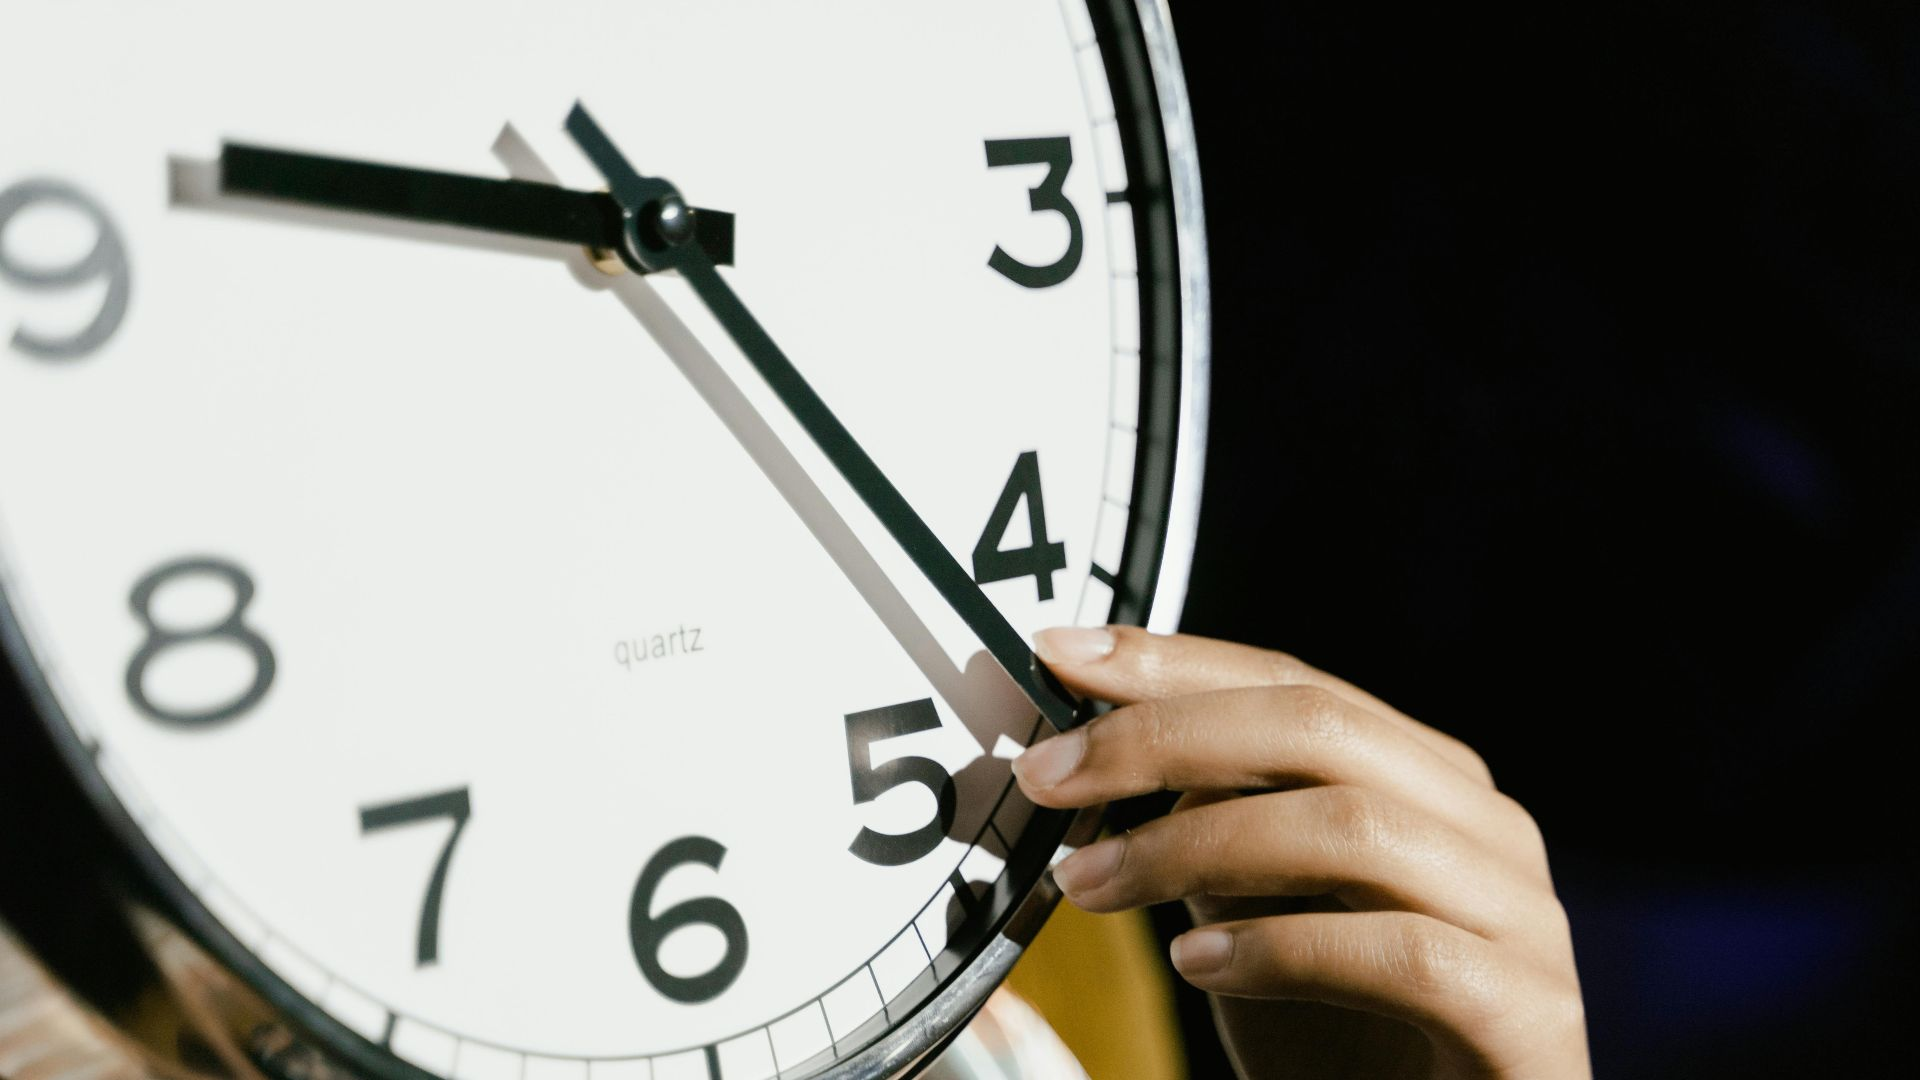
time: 9:22
